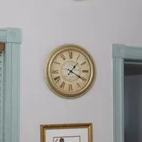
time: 1:20
